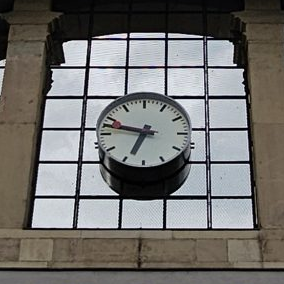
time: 6:47
